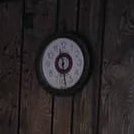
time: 11:28
